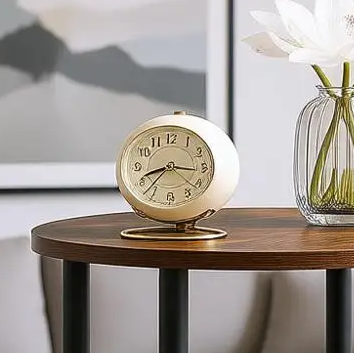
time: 8:16
